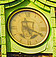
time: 5:19
